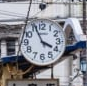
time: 3:56
